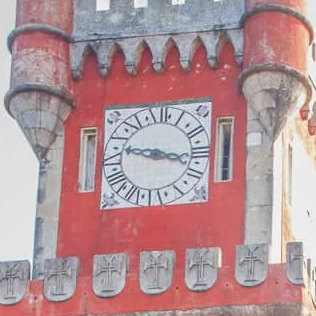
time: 9:17
